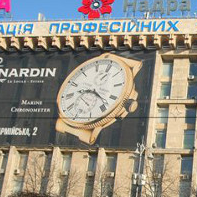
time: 9:22
